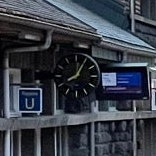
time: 12:04
